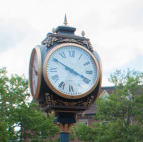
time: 3:50
